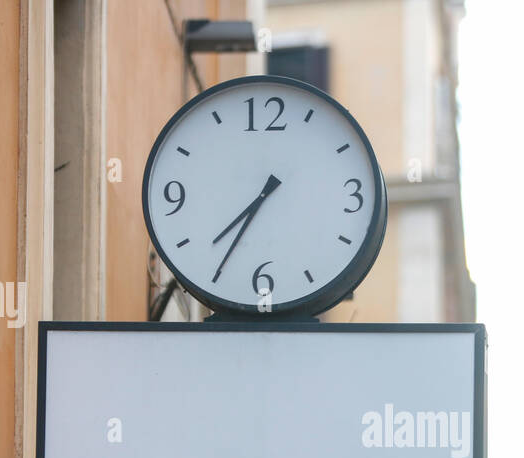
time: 7:35
